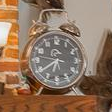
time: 6:39
